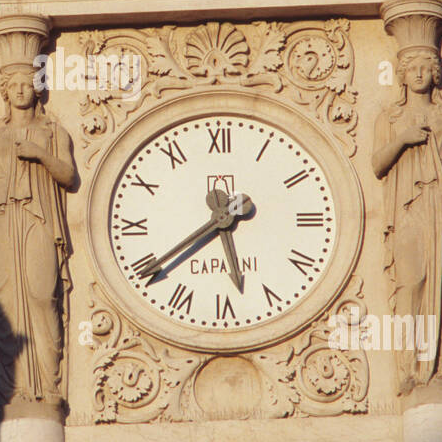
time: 5:38
